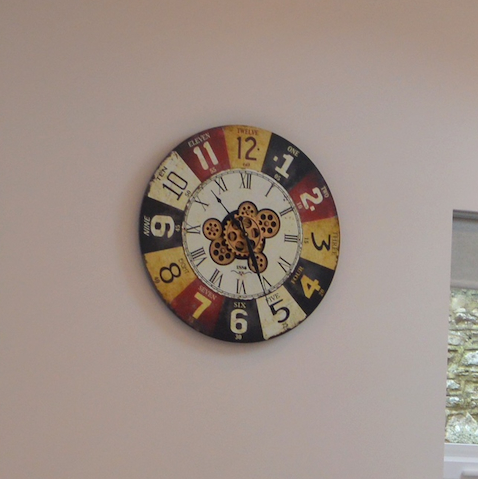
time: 4:52
